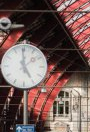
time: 4:59
